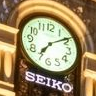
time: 7:09
